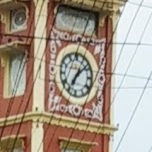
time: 7:08
